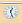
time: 12:26
